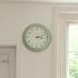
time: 3:11
